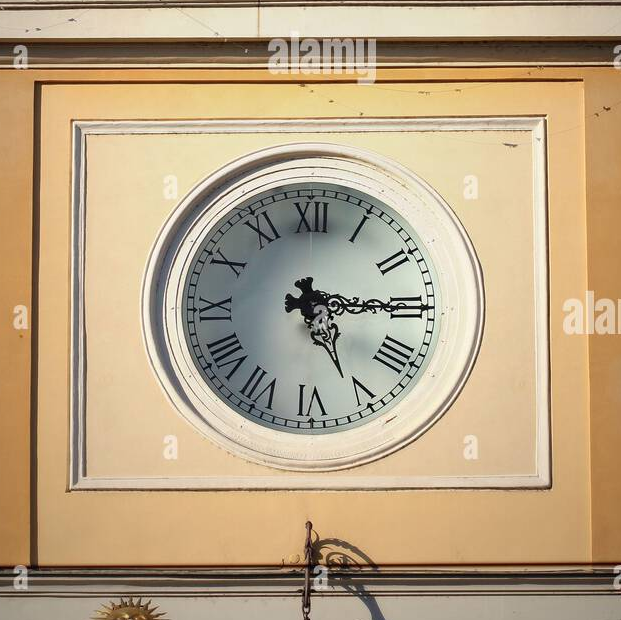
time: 5:15
